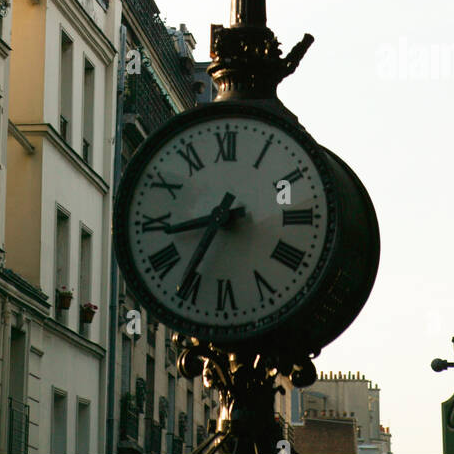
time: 8:35
